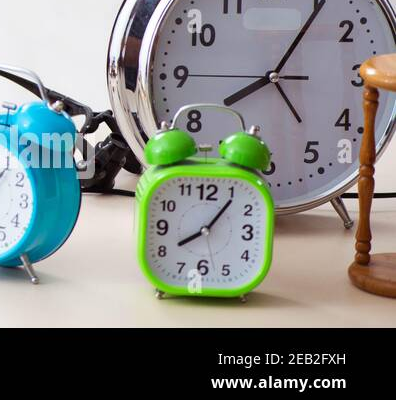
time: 8:06
